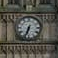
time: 6:33
